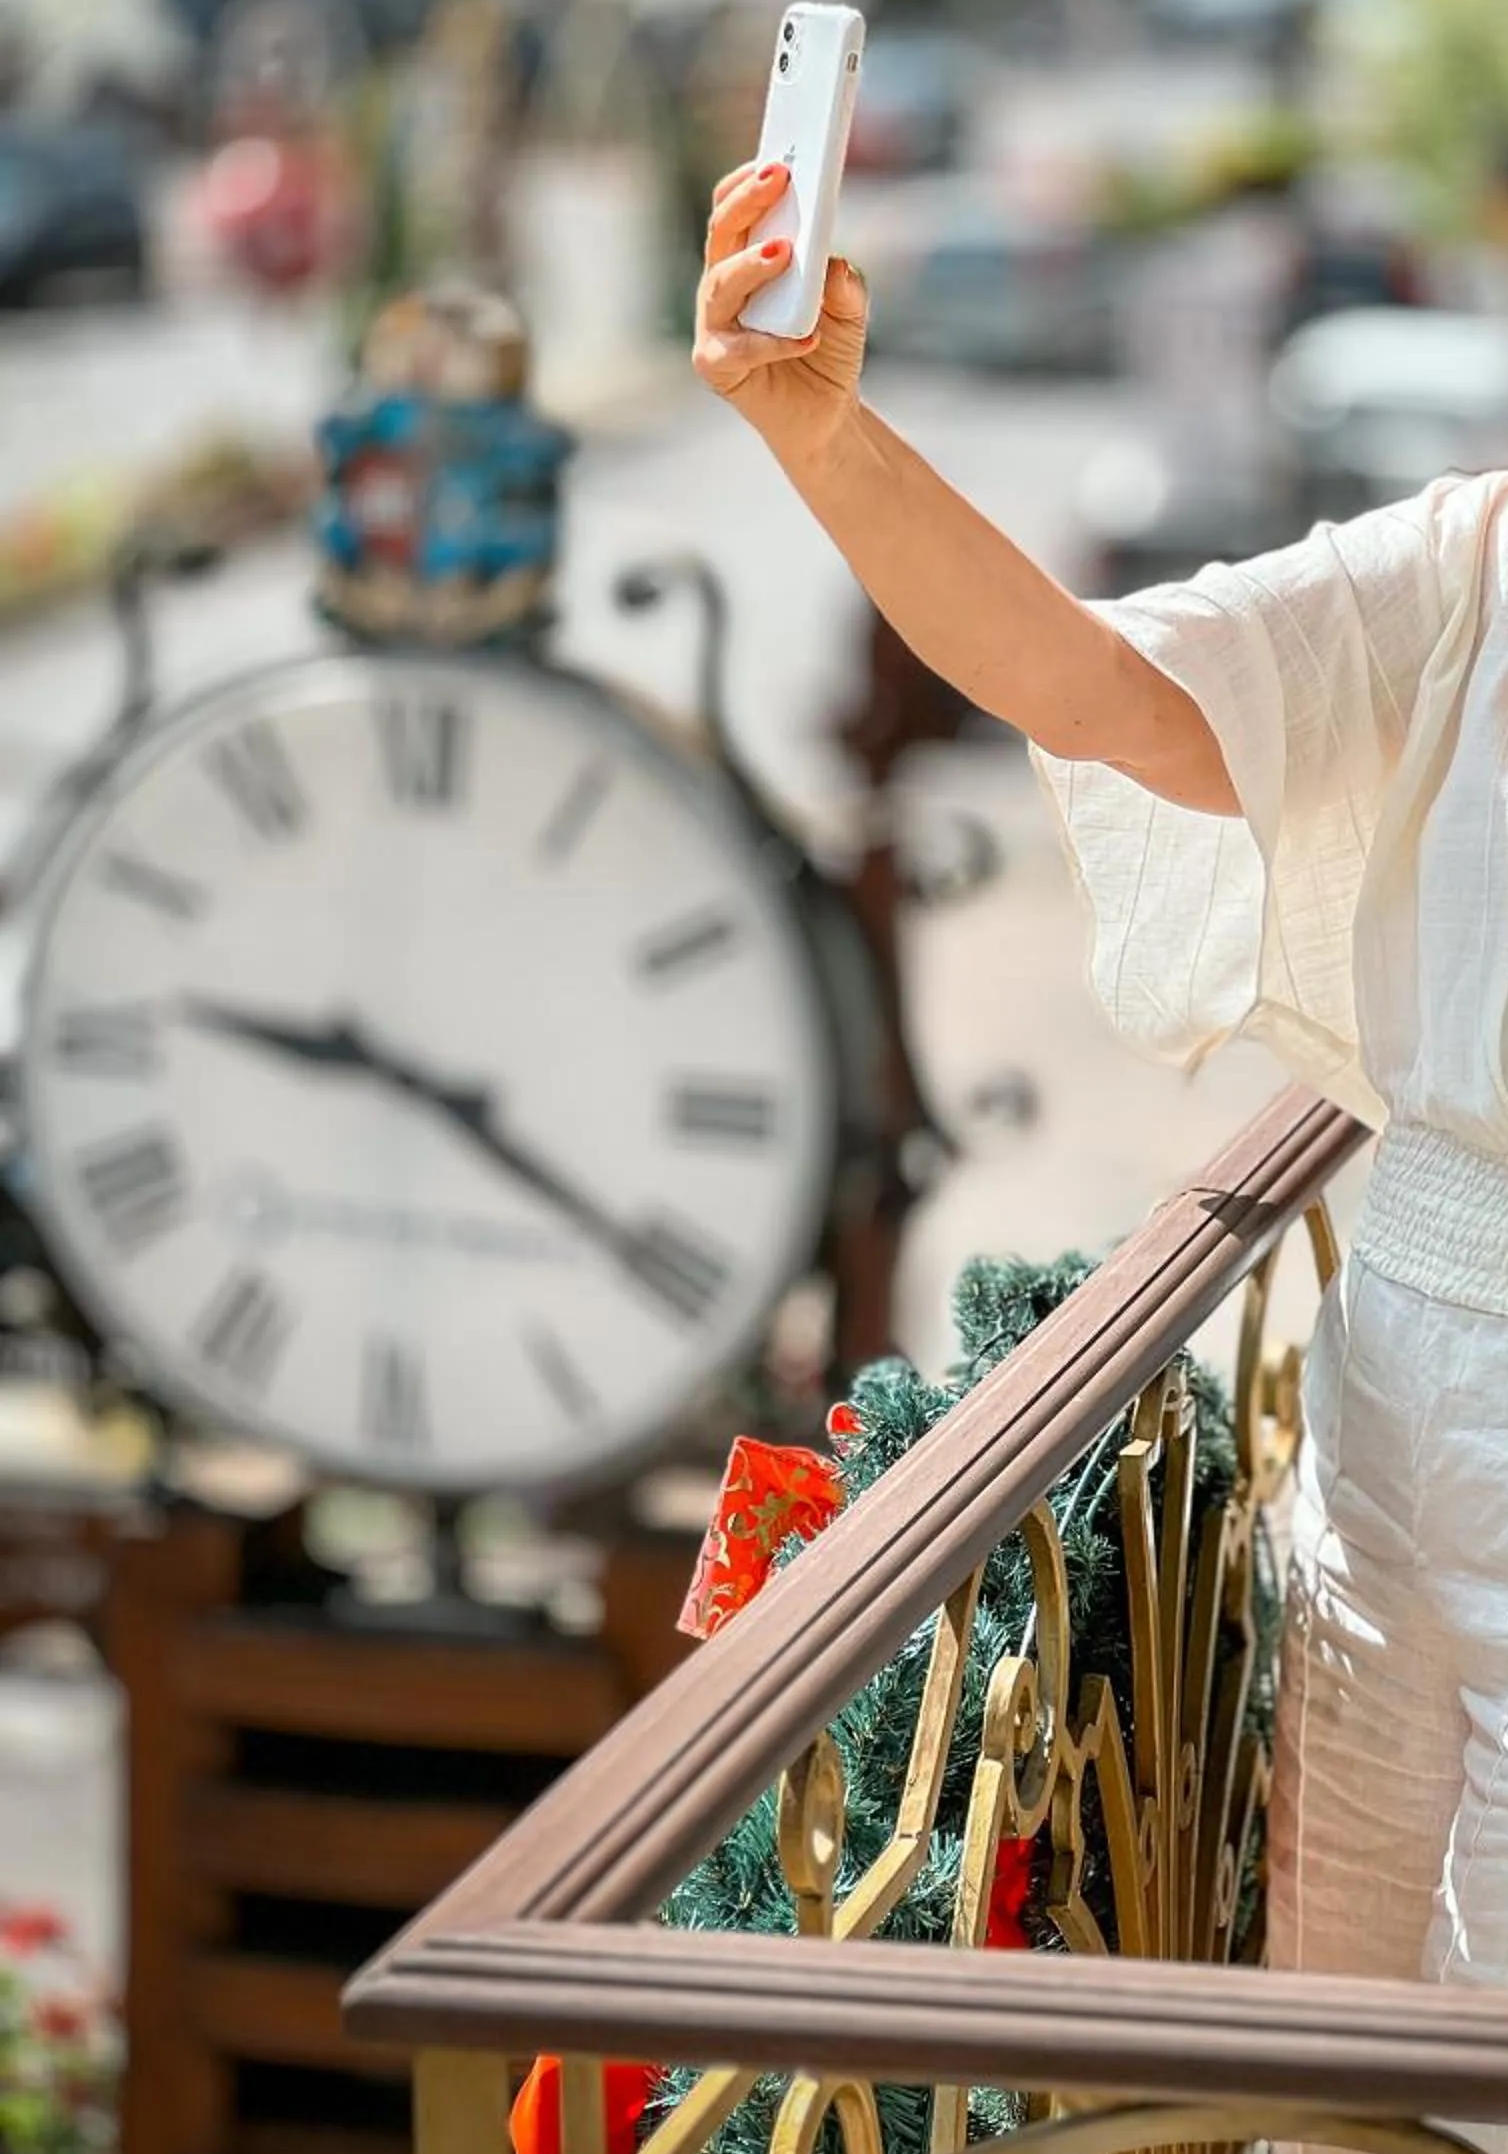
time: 9:20
